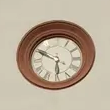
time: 5:49
